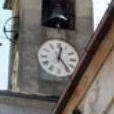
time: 12:23
